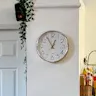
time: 12:55
